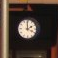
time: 1:59
